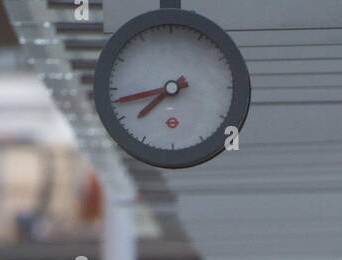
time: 7:42
